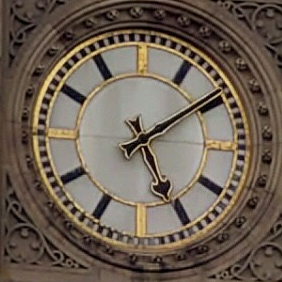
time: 5:09
